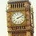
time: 2:11
